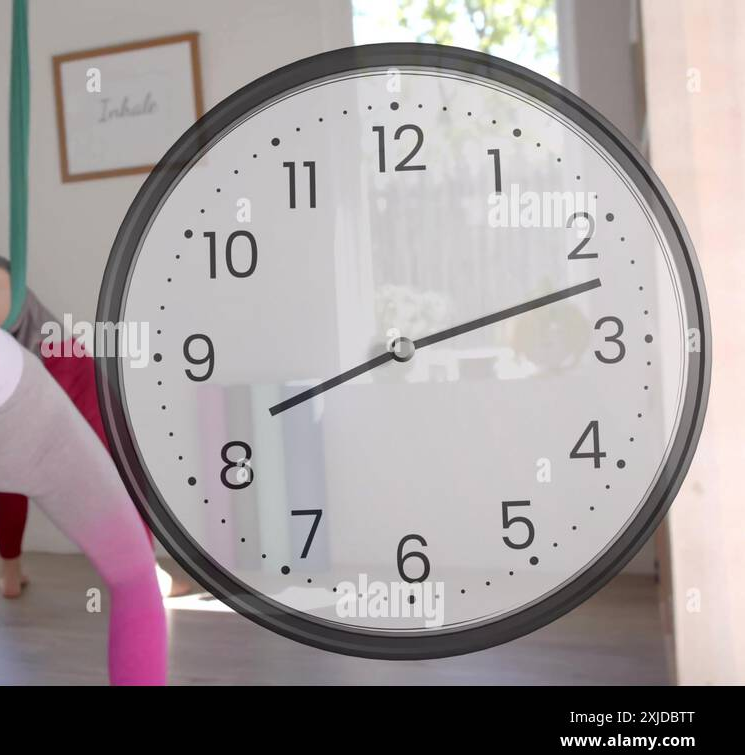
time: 8:12
